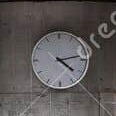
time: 4:13
